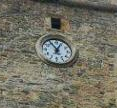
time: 12:55
